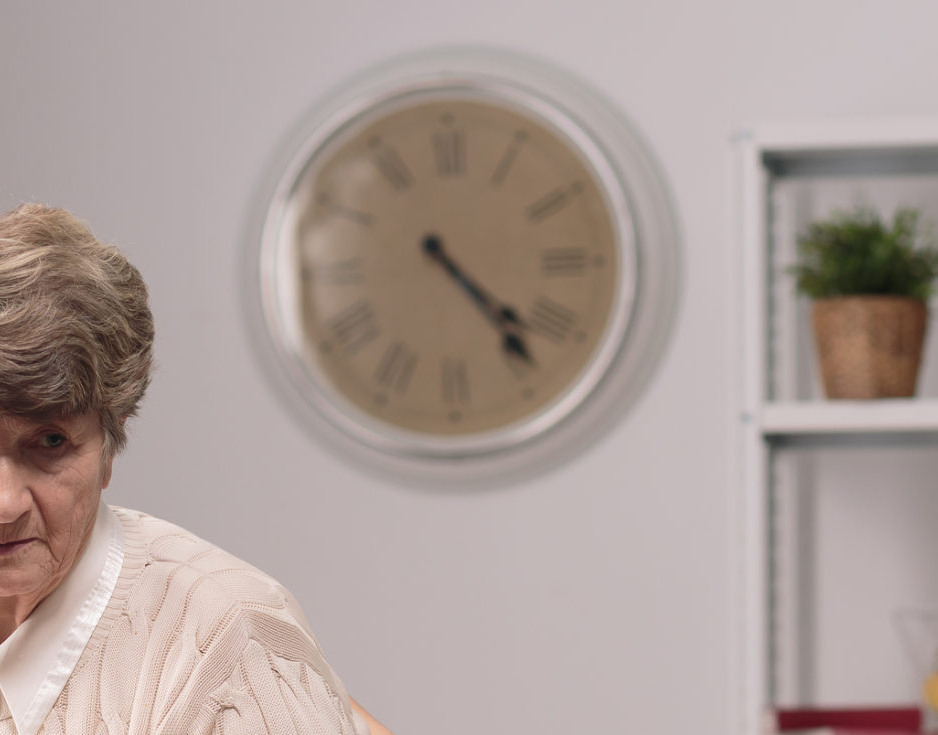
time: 4:23
